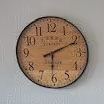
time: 6:10
